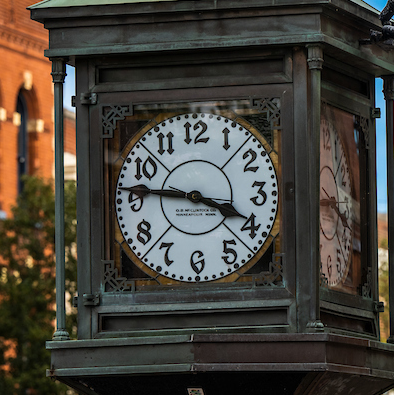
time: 3:46
